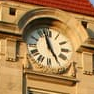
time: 4:57
